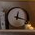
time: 12:18
